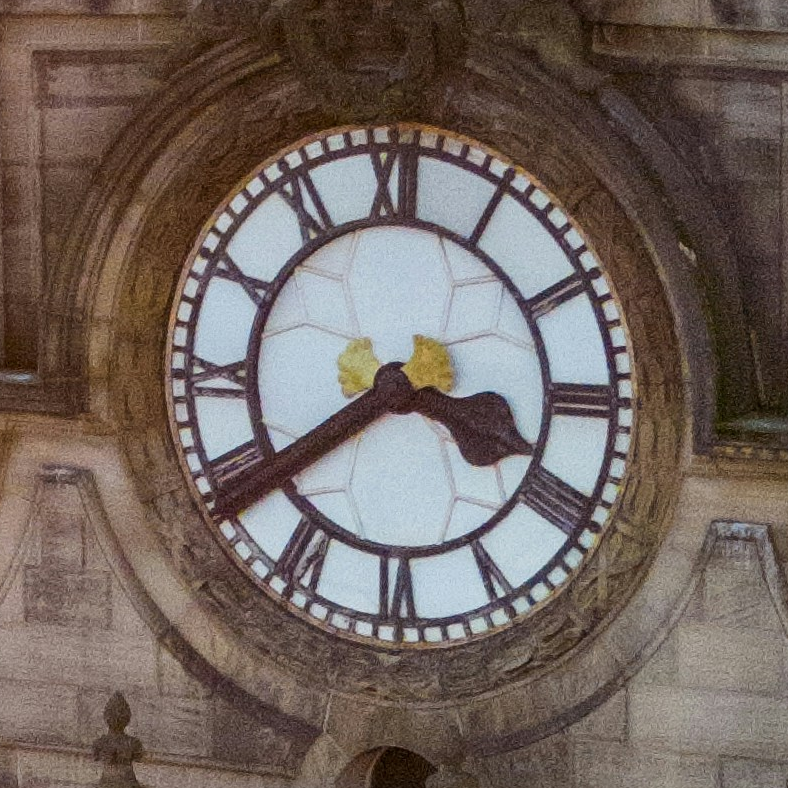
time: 3:39
